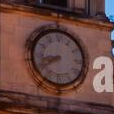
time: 8:40
